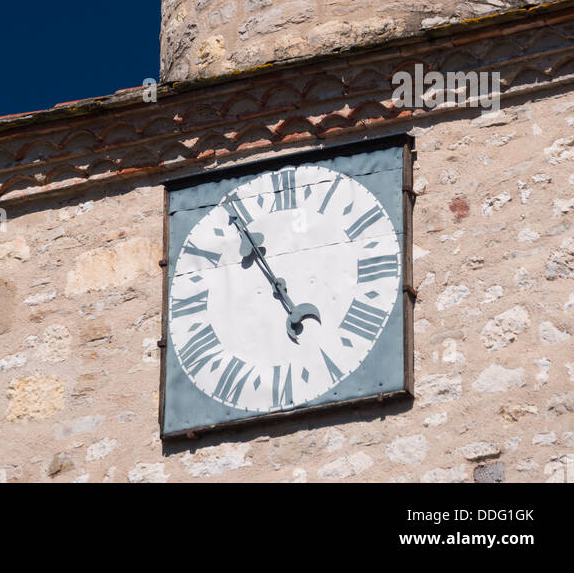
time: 4:54
